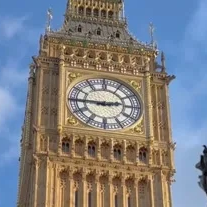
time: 2:45
